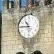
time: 10:45
